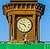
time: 4:48
